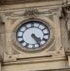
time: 4:26
